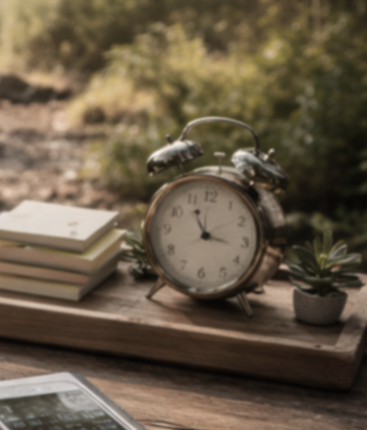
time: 11:17
